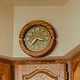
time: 7:17
